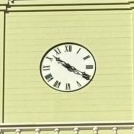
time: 10:19
